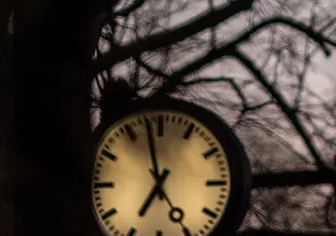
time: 6:58
